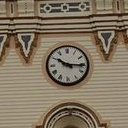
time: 10:15
